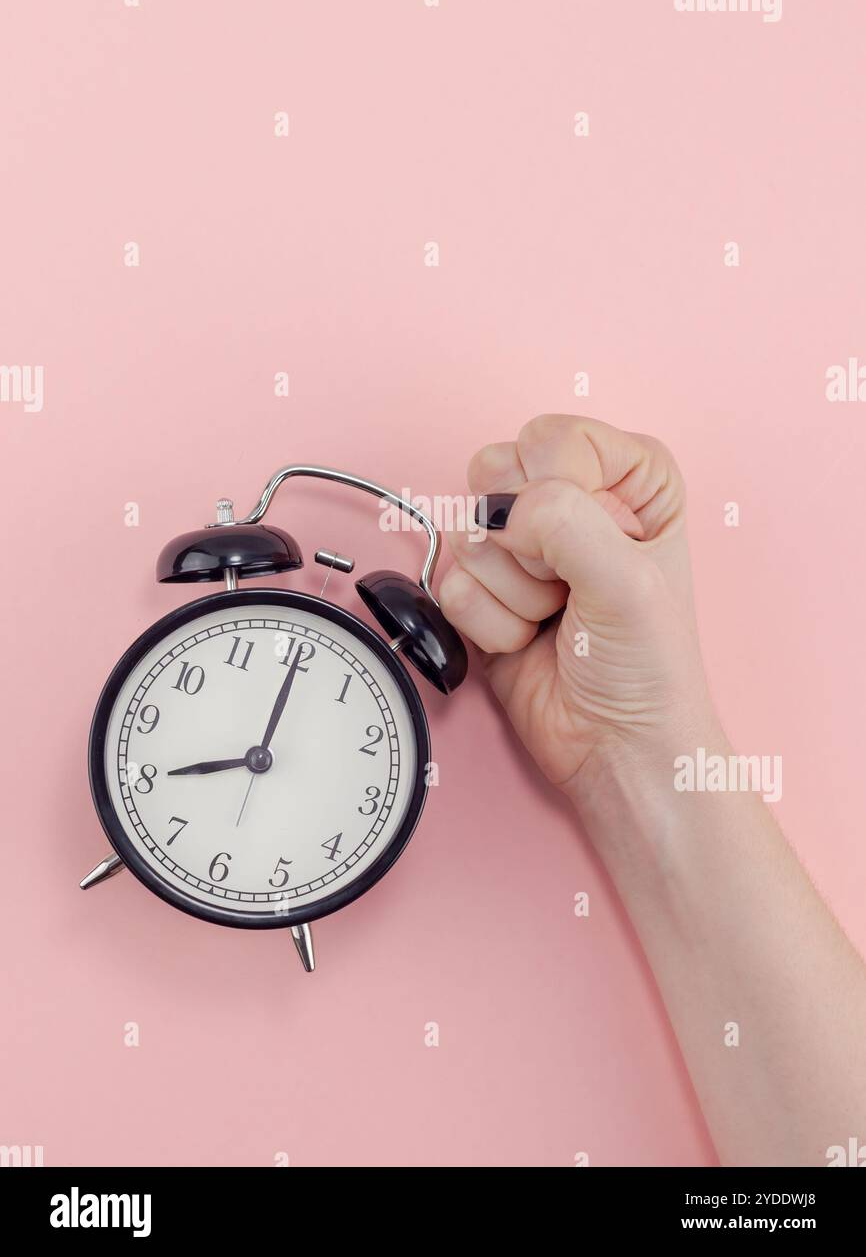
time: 8:00
